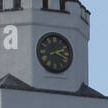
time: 2:18
